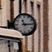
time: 11:14
